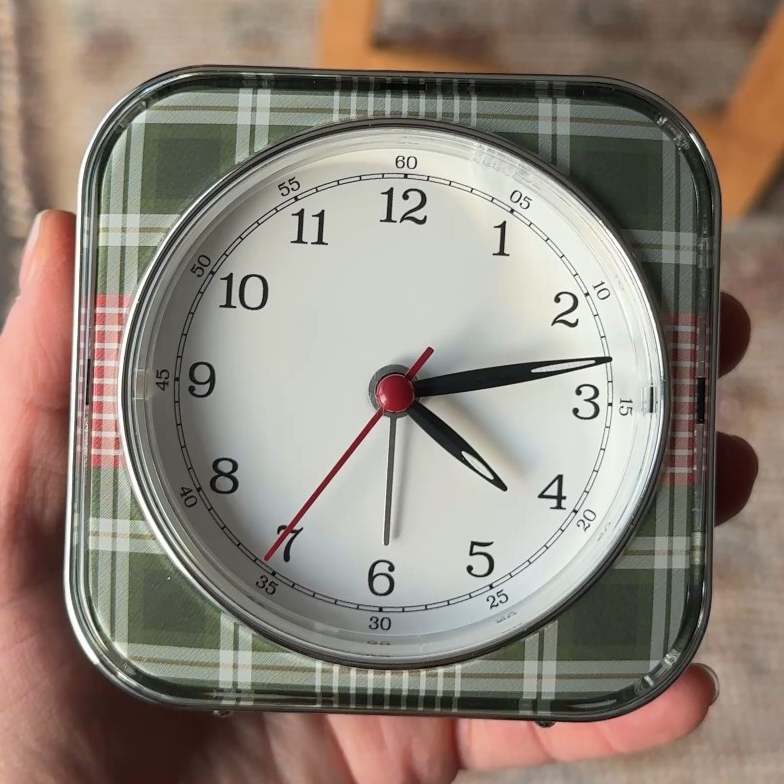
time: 4:13
